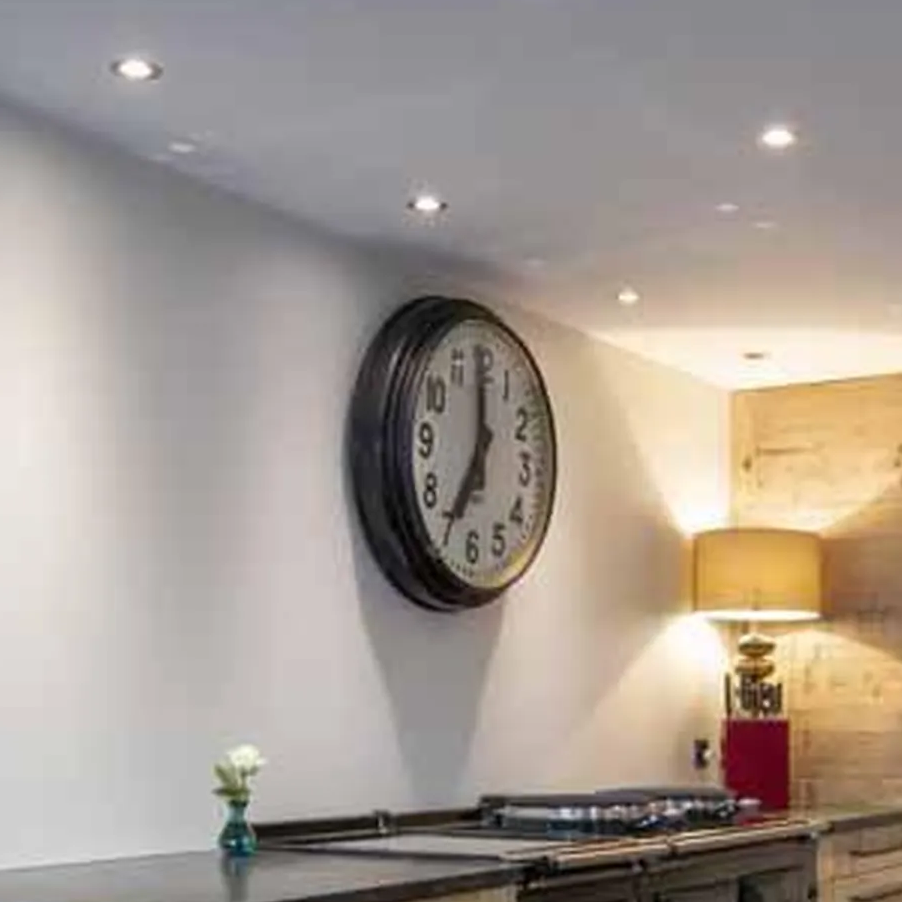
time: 7:00
